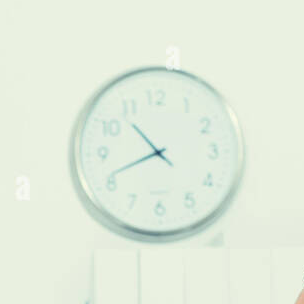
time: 10:41
